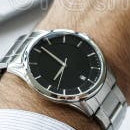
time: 6:51
